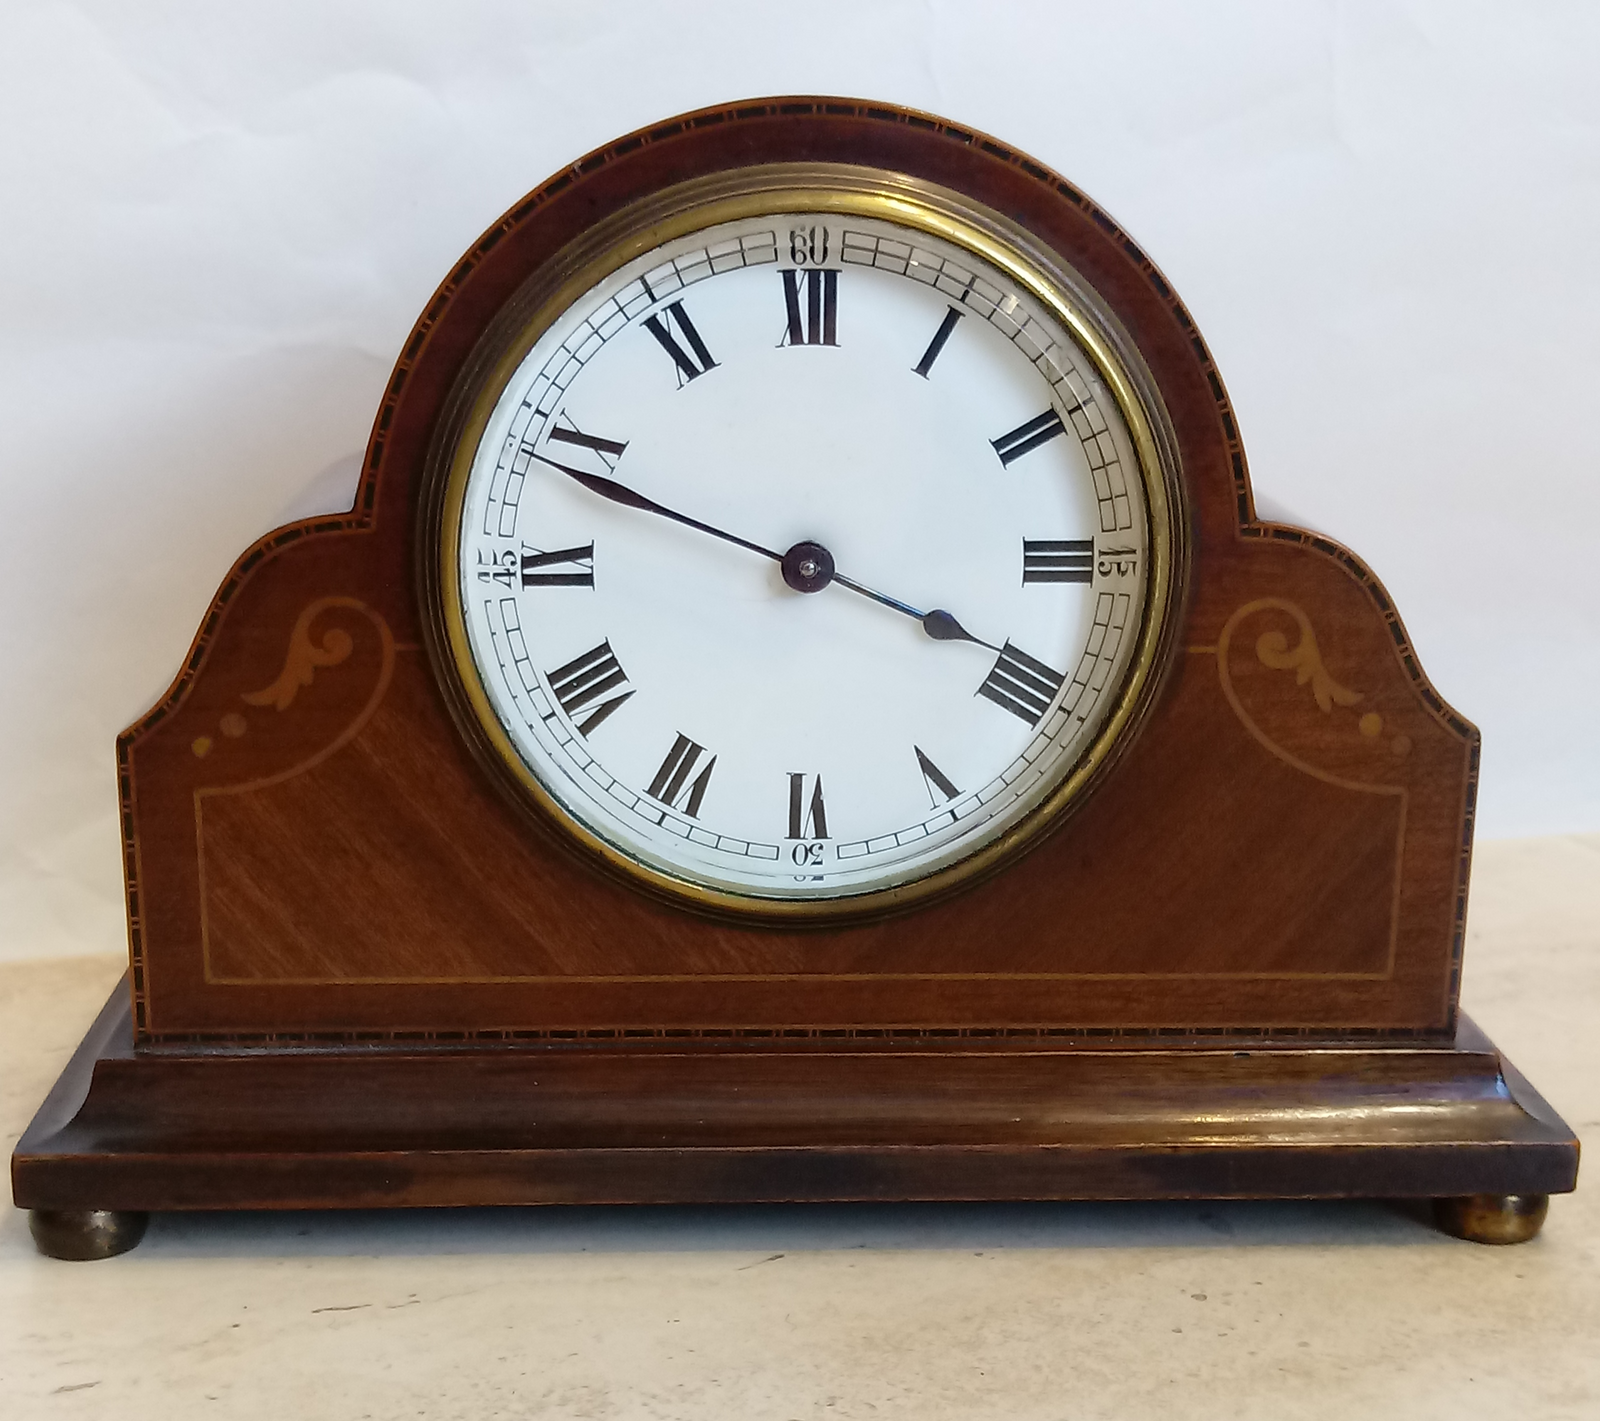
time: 3:48
